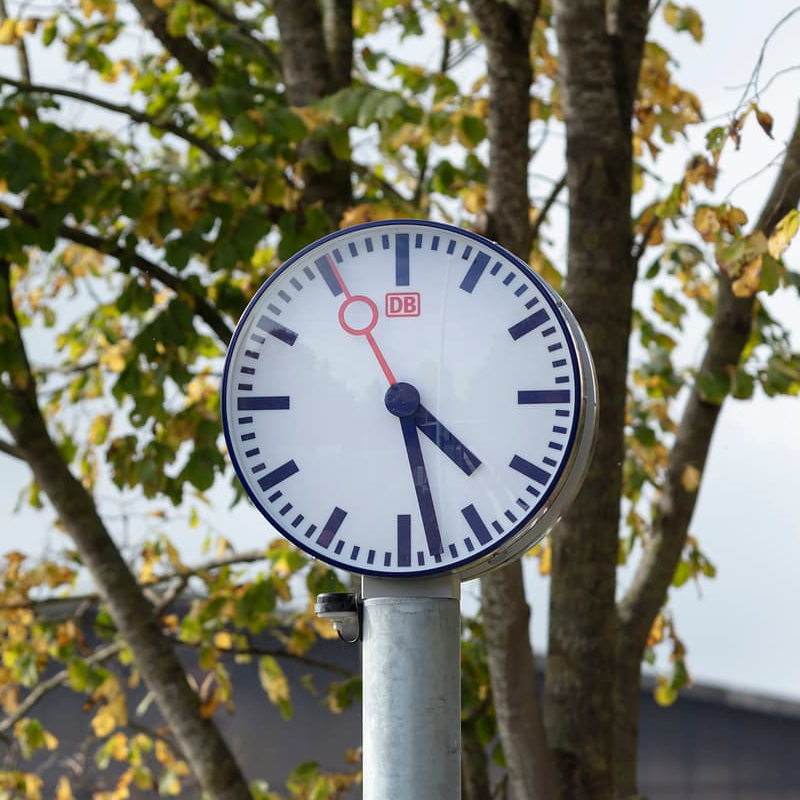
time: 4:28
